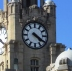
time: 4:20
